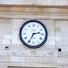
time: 2:34
